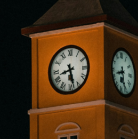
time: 8:27
